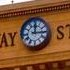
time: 12:14
